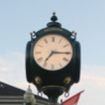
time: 7:15
